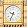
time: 9:34
